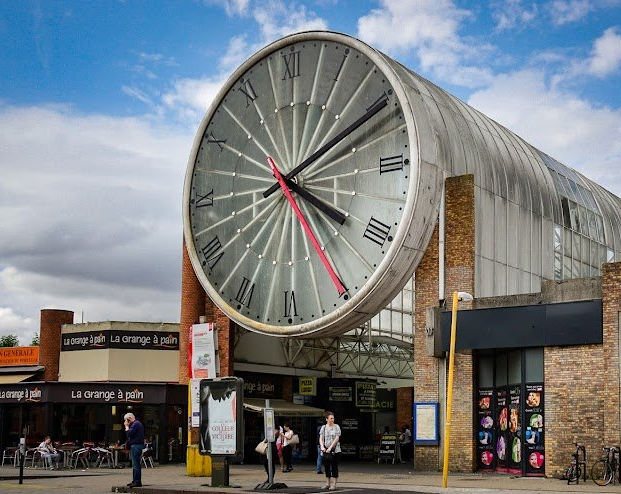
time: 4:10
